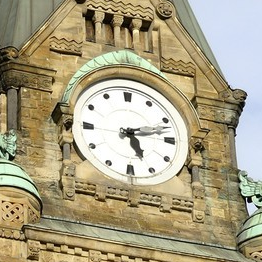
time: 5:12
